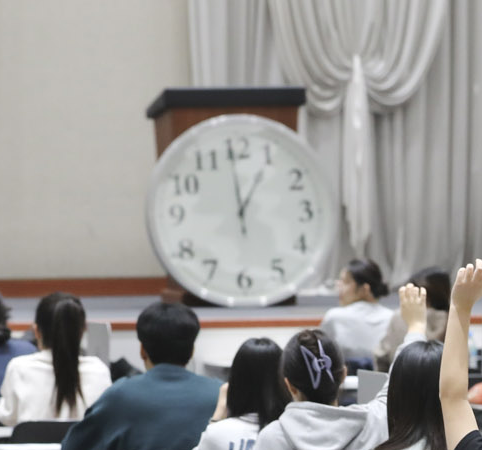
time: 12:59
